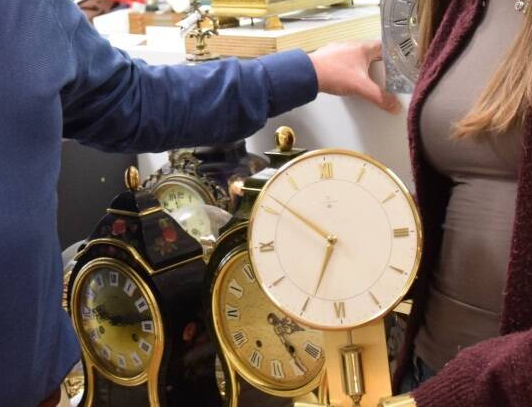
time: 6:51
